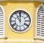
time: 11:00
